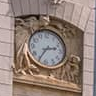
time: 2:35
